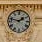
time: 1:47
